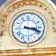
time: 3:18
